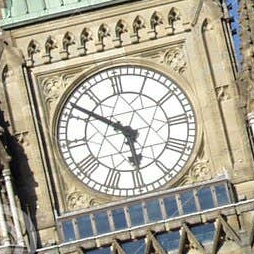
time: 5:51
